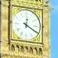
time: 12:20
